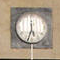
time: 5:33
